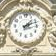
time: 1:11
